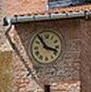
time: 3:53
